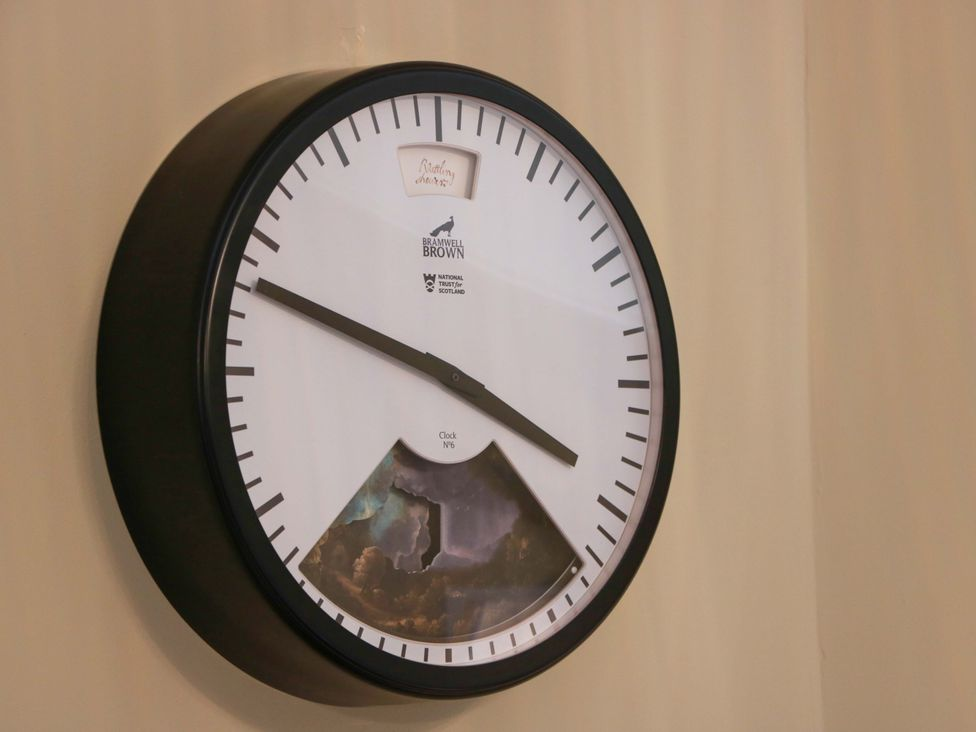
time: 3:48
